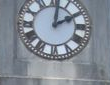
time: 2:01
